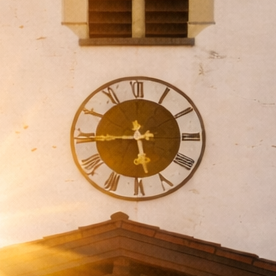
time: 5:44
